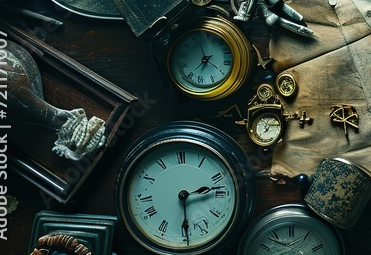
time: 2:29
